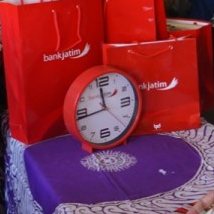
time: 11:43
